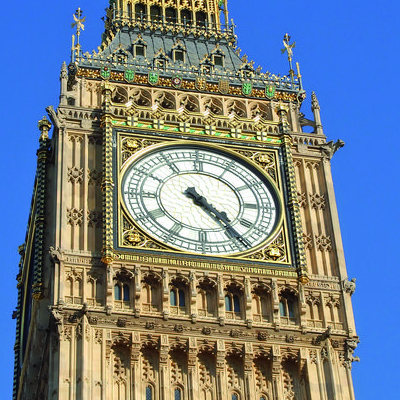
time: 4:23
